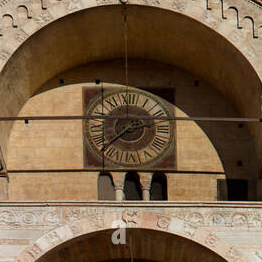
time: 2:37
